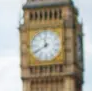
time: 11:40
